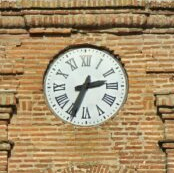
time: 2:34
